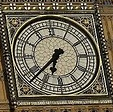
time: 6:37
